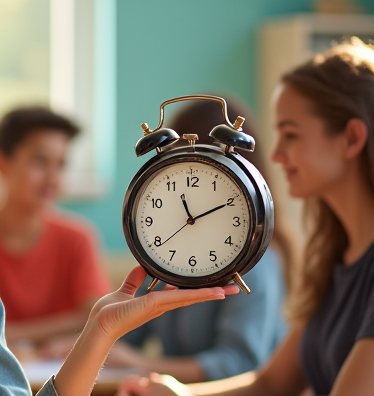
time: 11:10
